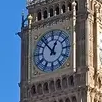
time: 12:53
